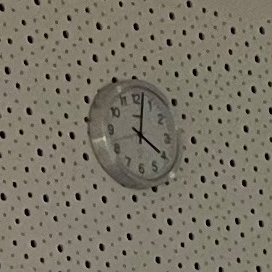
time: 4:01
